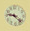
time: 9:22
